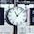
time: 11:07
